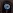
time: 8:36
